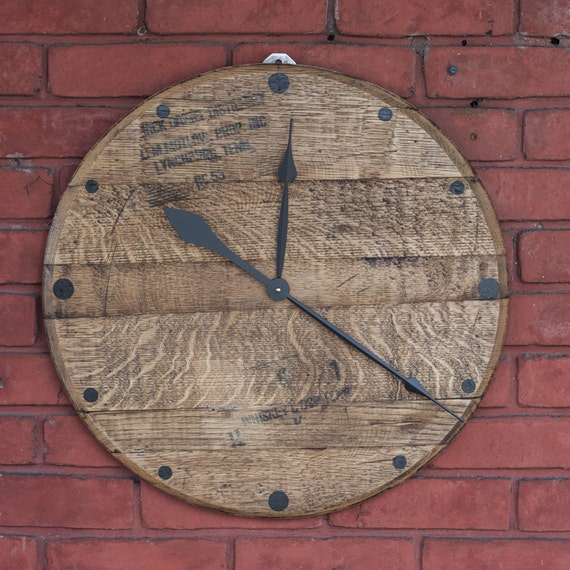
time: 10:21
